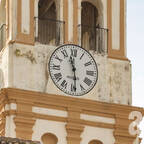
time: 11:29
